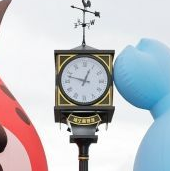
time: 12:47
